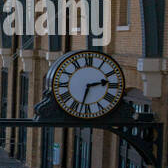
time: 2:32
